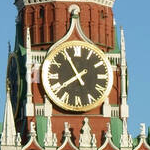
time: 7:55
